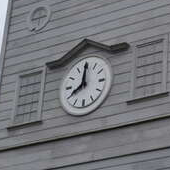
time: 8:00
